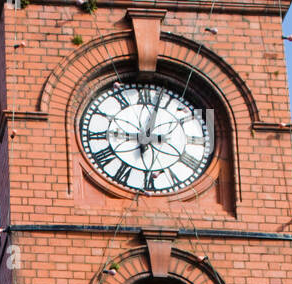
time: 9:02
